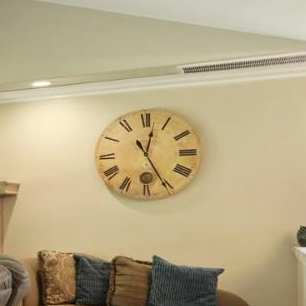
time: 12:25
